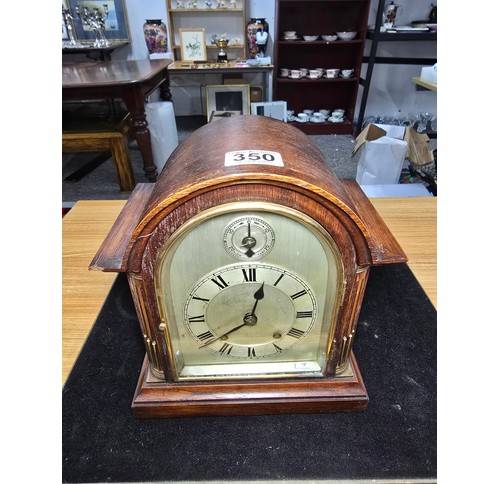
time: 6:58
